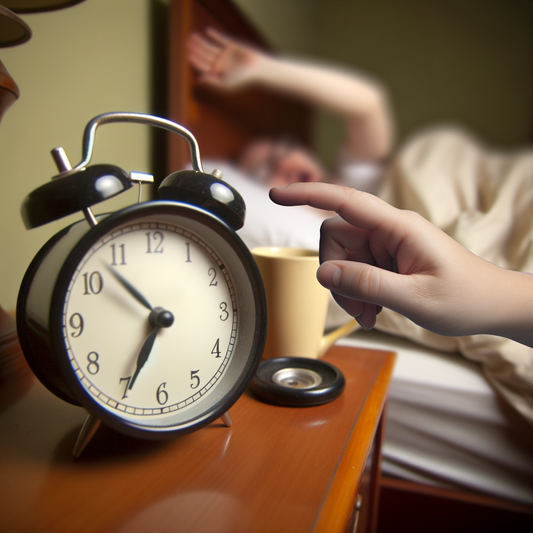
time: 6:53
